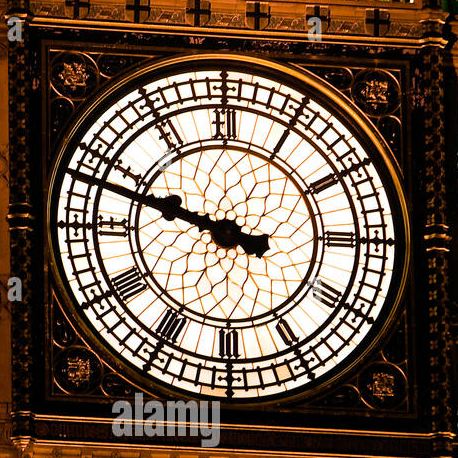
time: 9:47
